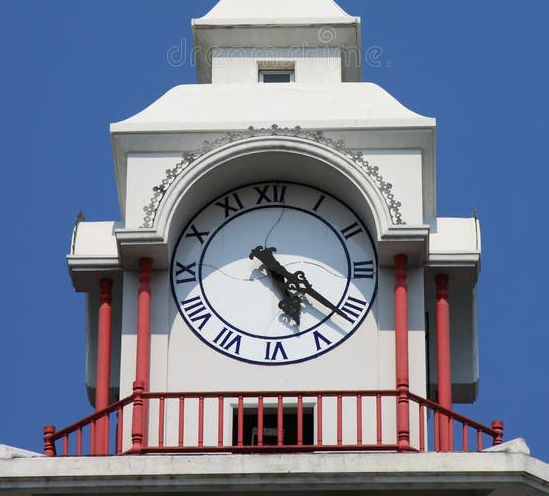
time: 5:21
